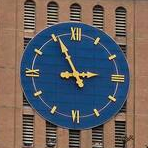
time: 2:55
